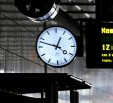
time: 12:47
